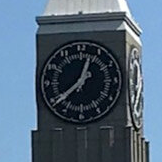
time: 12:38
